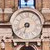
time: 6:40
